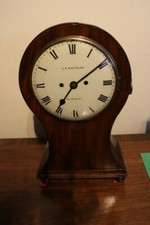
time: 7:09
